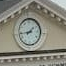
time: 1:43
